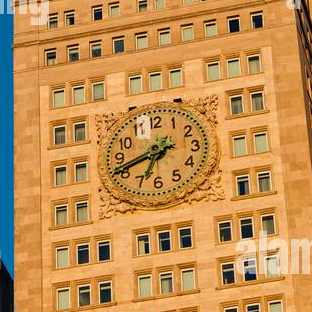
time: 6:41
